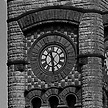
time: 11:29
